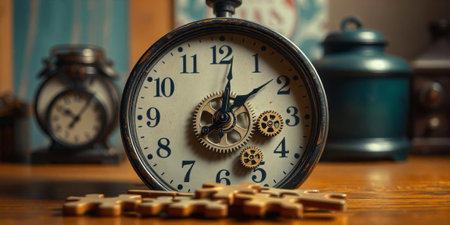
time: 12:08
